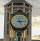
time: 5:14
